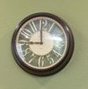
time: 8:59
